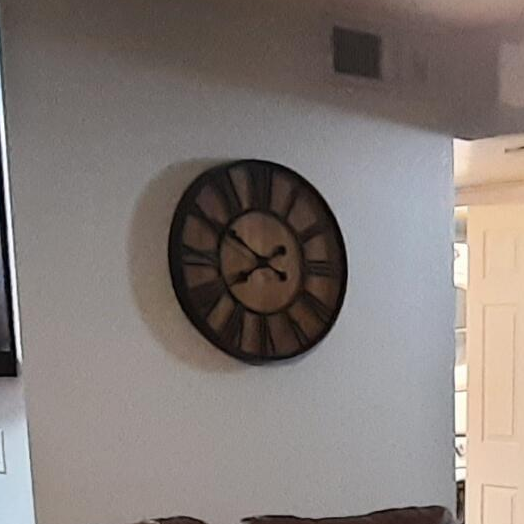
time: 7:50
